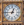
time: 12:45
